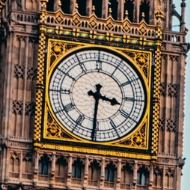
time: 3:30
